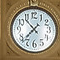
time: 10:37
